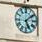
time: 5:08
